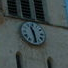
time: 11:28
